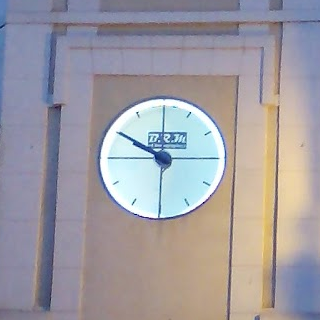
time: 10:00
